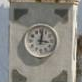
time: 3:01
